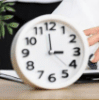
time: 2:59
